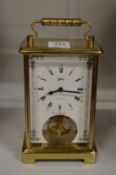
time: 8:14
